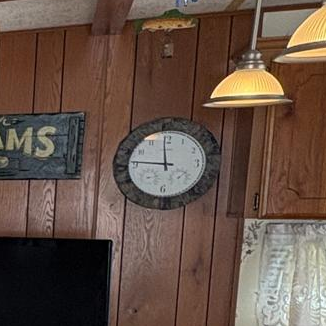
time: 11:46
